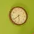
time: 5:38
